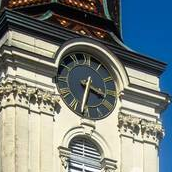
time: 3:32
